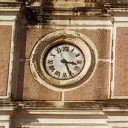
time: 3:26
